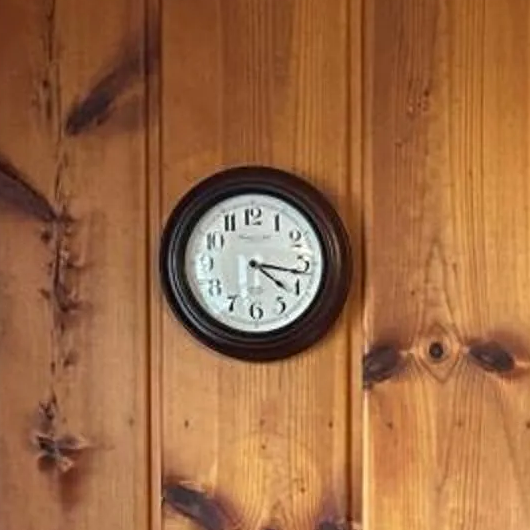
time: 4:16
